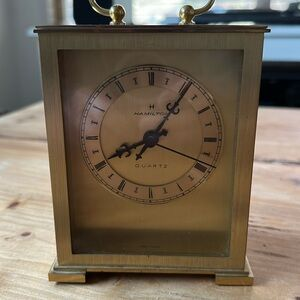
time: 8:05
